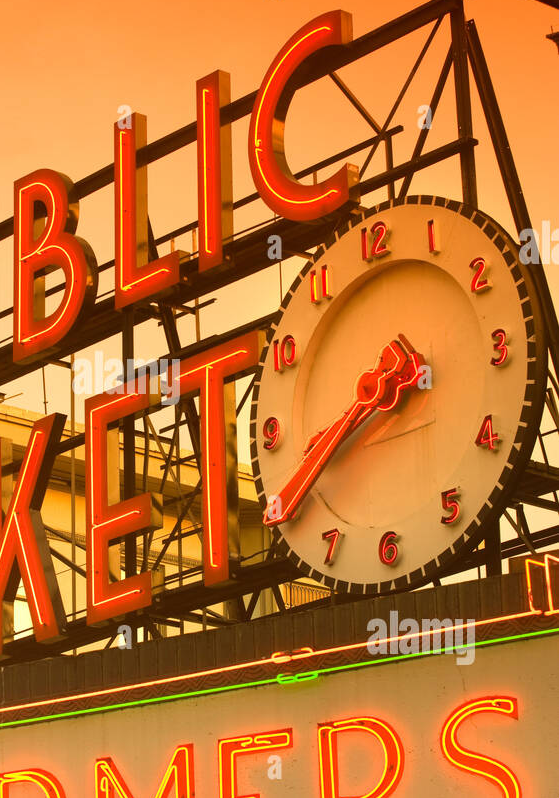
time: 8:40
